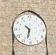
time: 10:32
